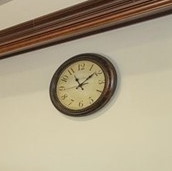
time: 11:08
